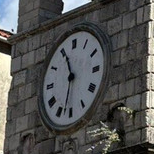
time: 11:32
